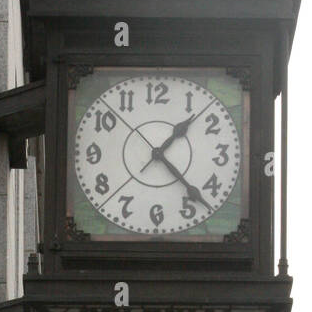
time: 1:22
